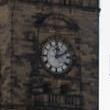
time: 12:11
